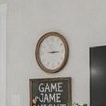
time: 9:14
